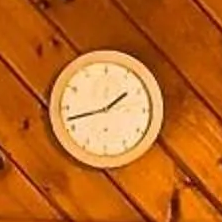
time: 1:42
